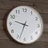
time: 9:33
